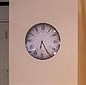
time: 6:24
